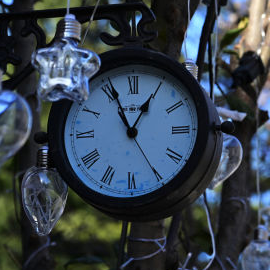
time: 12:56
